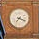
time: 7:18
